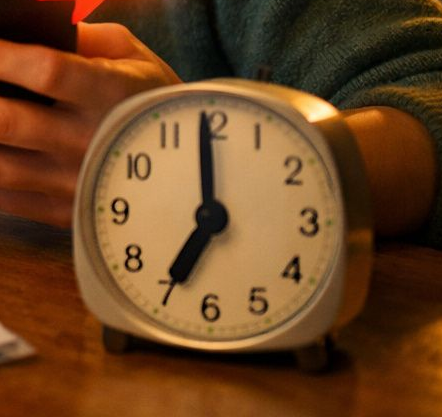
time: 6:59
